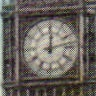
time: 12:12
